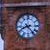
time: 8:23
